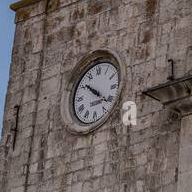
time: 10:21
